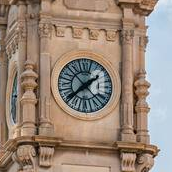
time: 1:37
